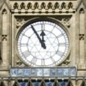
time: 11:55
